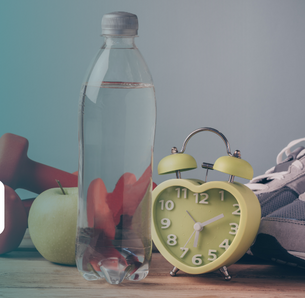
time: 6:10
